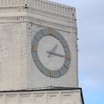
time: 1:15
